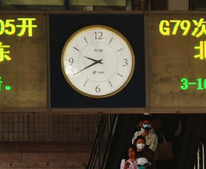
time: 9:40
